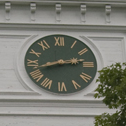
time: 2:42
